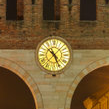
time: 10:25
